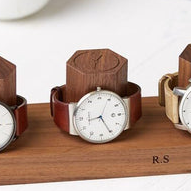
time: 8:25
